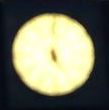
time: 5:00
